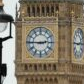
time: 2:45
